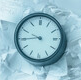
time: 9:44
